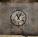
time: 11:05
